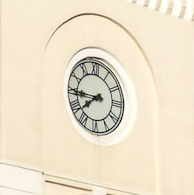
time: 7:44
